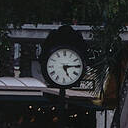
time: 5:14
